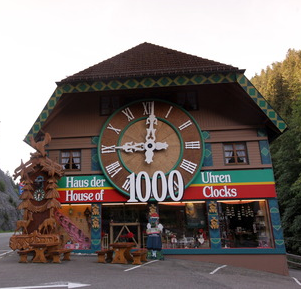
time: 9:01
